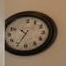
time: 10:34
